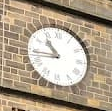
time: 10:44
